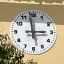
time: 2:58
